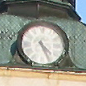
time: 4:25
